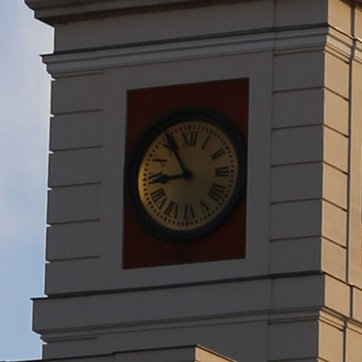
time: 8:54
